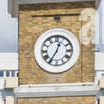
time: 12:35
